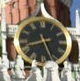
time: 8:26
